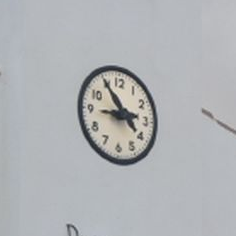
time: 2:54
